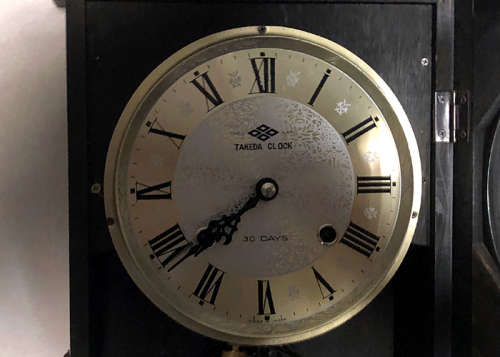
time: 7:38
